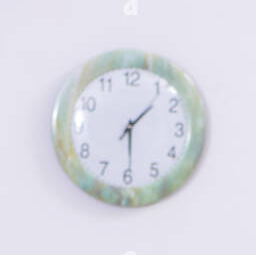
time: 1:29
